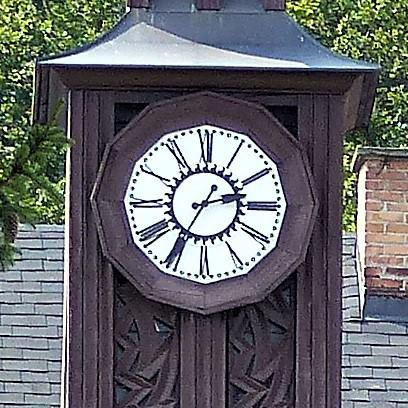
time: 2:35
